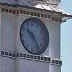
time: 10:24
